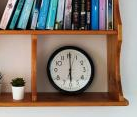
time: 6:00
